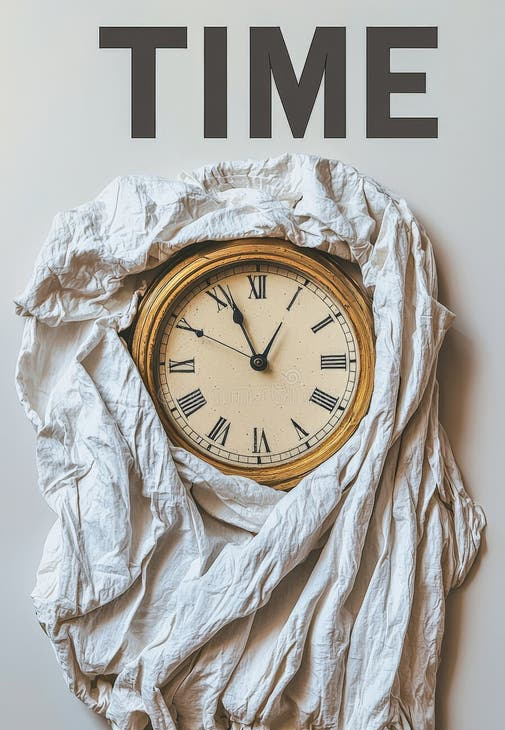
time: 12:56
